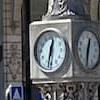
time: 12:32
